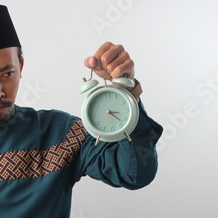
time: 3:22
